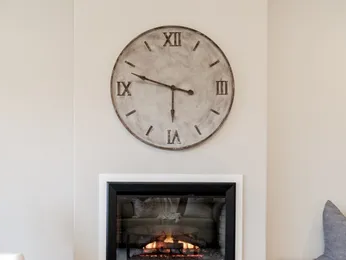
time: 5:48
